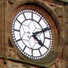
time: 4:10
